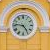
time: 4:46
